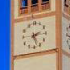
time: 2:26
